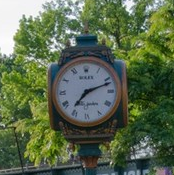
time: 7:11
